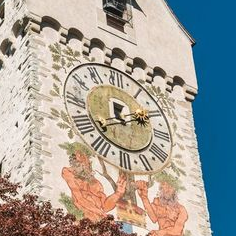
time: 12:10
